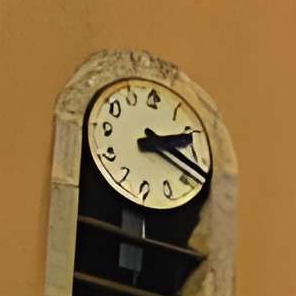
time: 2:18
